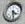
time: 4:29
